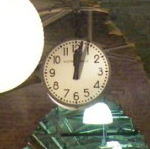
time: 12:02
